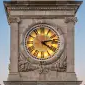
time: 4:12
